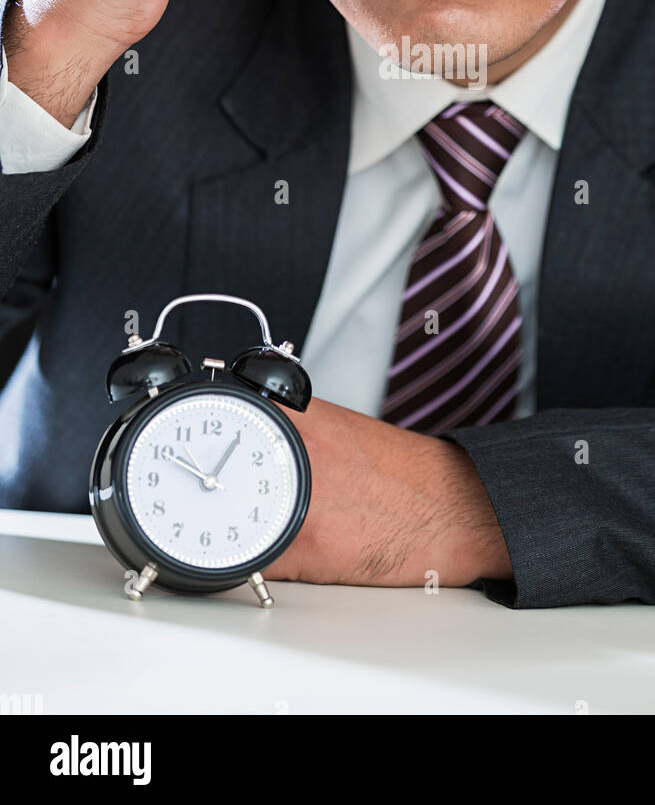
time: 10:05
